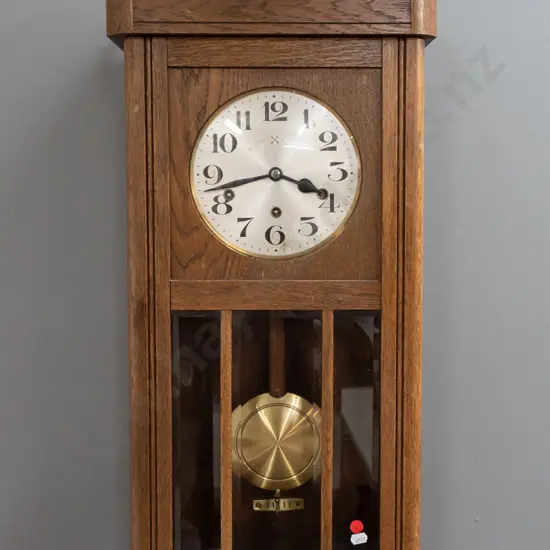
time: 3:43
